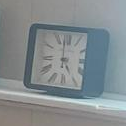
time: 4:59
